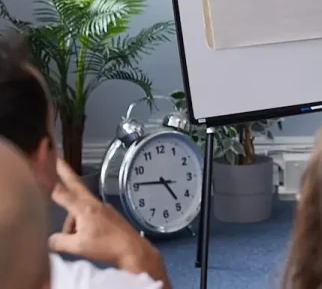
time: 4:45
